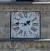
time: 1:45
